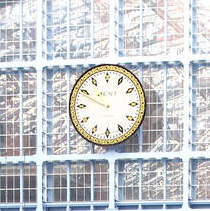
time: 10:49
